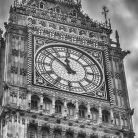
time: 11:51
